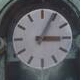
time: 3:04
